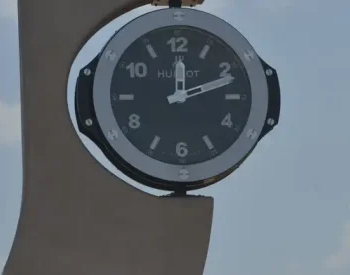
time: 12:11
